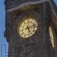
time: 5:12
